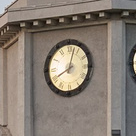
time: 8:02
